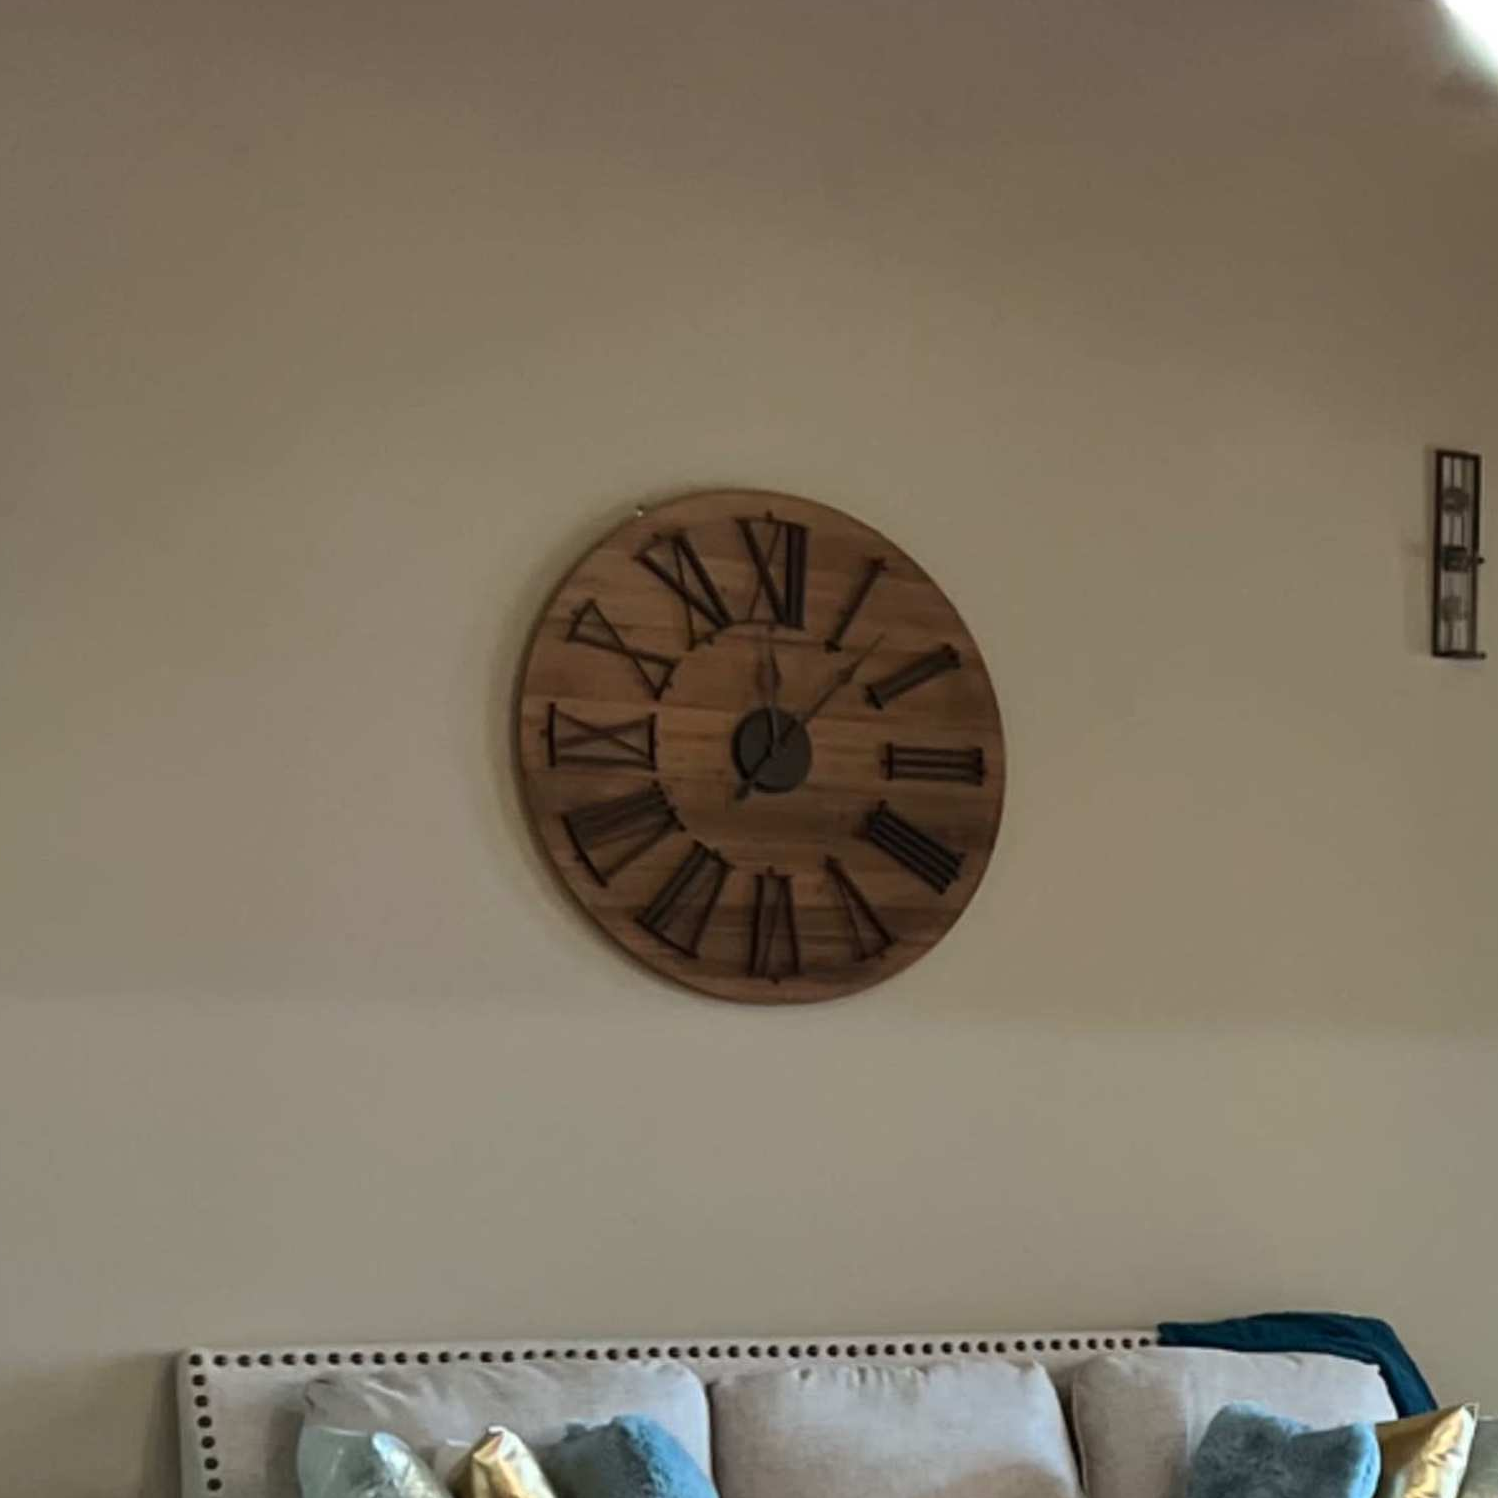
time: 12:07
